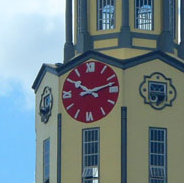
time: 10:12
